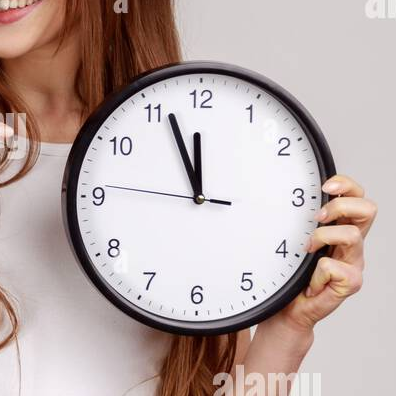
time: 11:56
